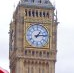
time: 1:13
